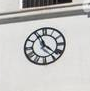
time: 11:21
